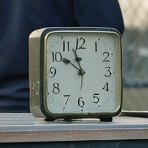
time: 9:56
